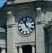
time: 11:22
